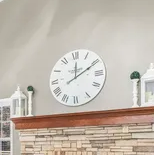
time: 12:10
